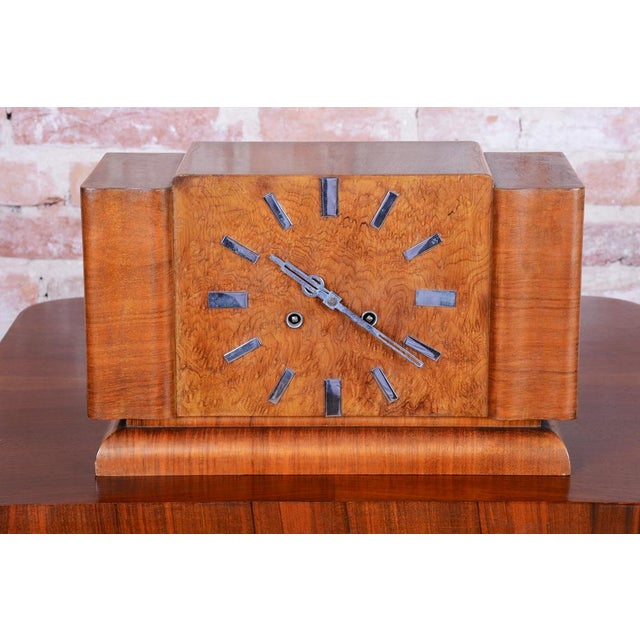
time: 10:20
